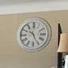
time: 10:25
